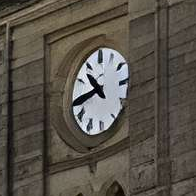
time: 10:43
